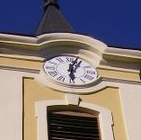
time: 6:03
